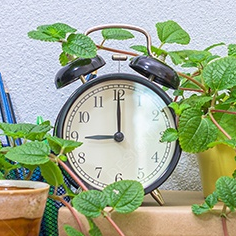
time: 9:00
